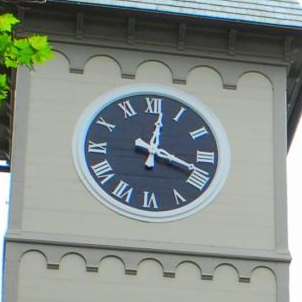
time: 12:18
